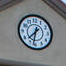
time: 7:32
